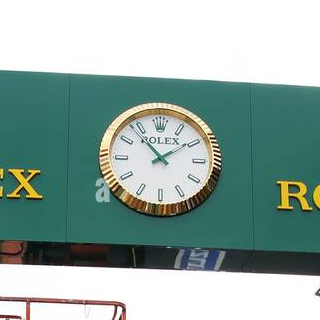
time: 1:53
